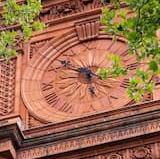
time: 5:51
